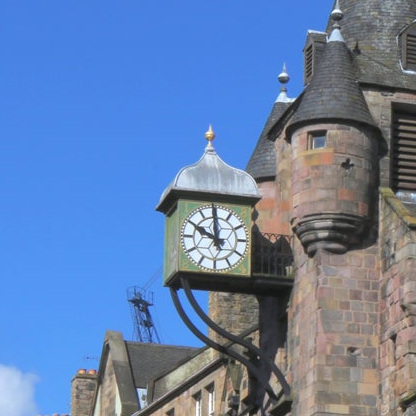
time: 9:59
